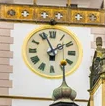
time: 1:56
